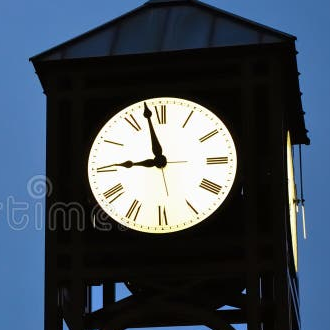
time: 8:57
